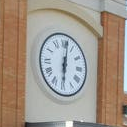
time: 6:01
